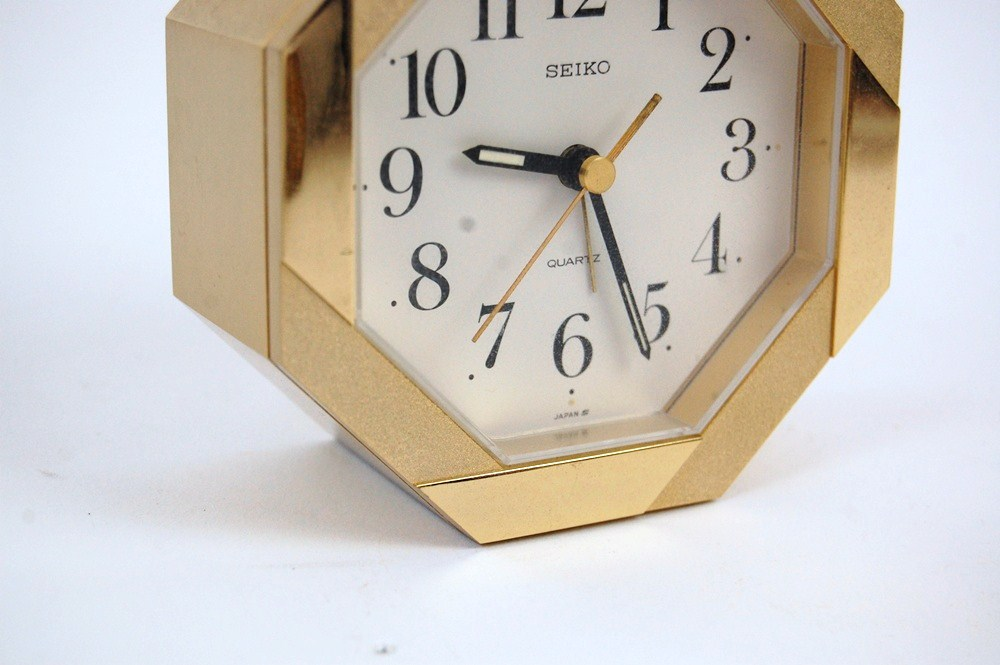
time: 9:26
